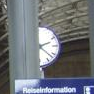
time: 2:21
